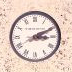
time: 3:10
